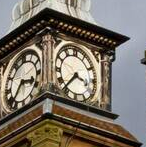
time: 3:36
